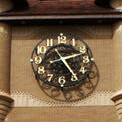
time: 2:24
